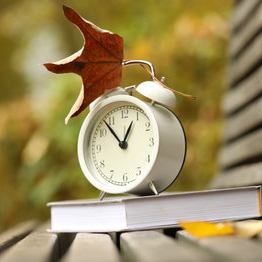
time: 12:53
